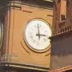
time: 2:59
